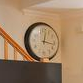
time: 12:16
